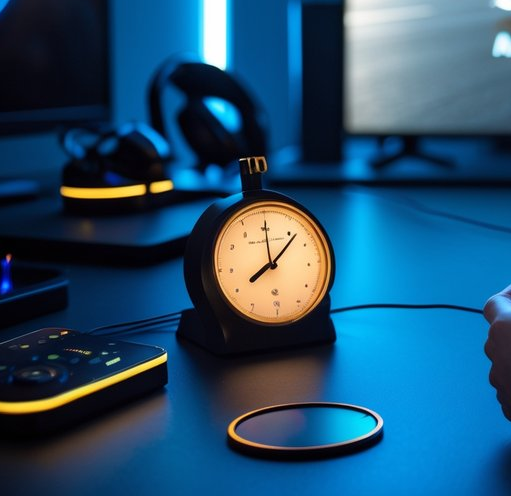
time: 8:07
